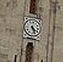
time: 4:26
